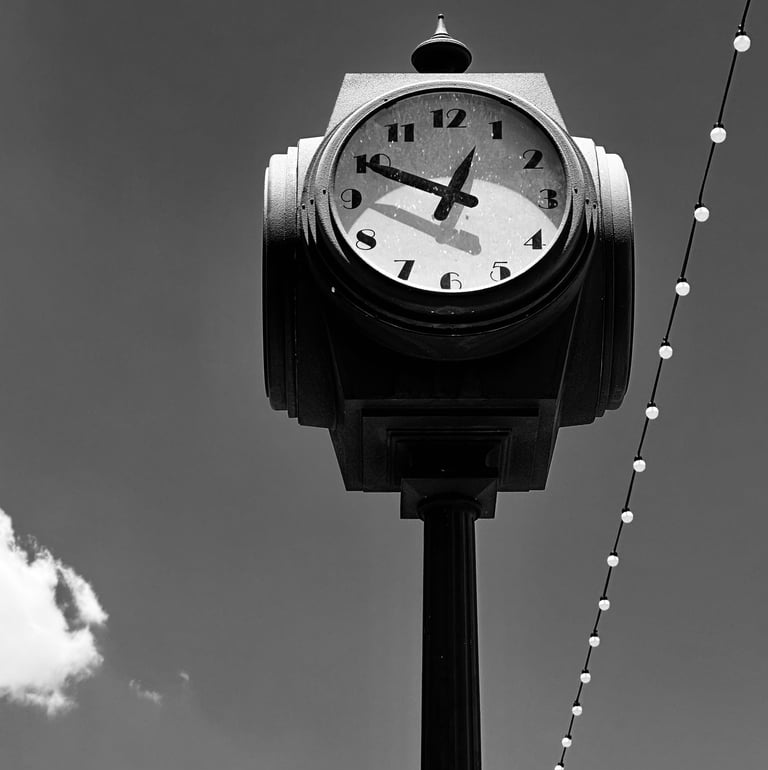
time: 12:49
